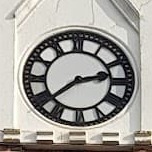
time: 2:38
